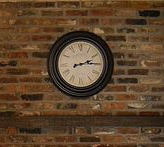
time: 2:15
